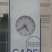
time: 4:39
